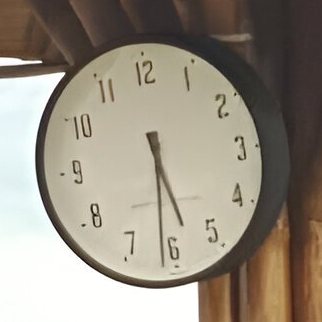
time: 5:31
